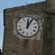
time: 12:04
